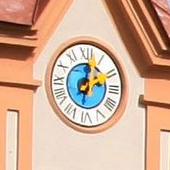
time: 2:02
